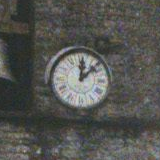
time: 12:07
